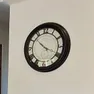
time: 10:18
